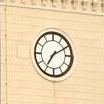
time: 7:10
